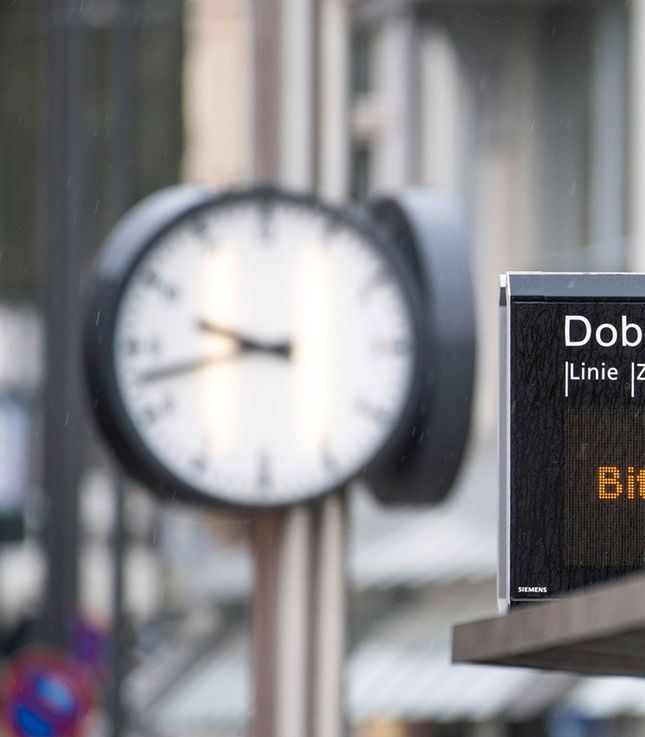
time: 9:42
